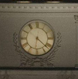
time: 6:21
